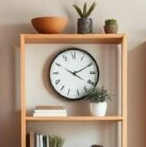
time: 4:10
